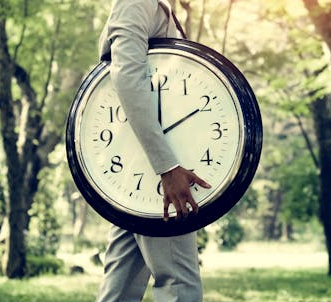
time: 2:00
